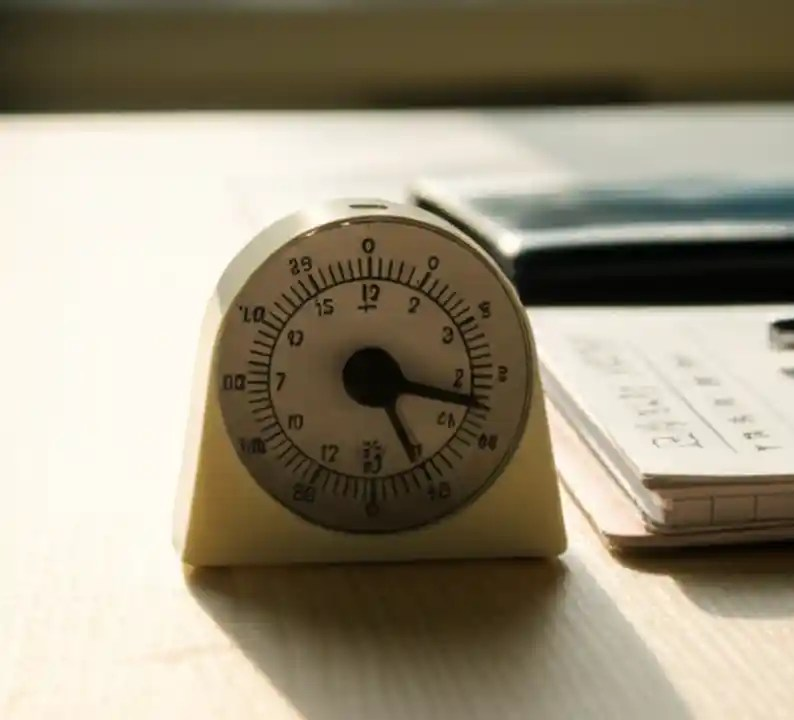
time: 5:17
